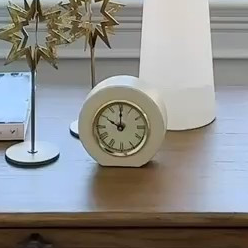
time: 10:00
